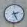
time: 2:26
